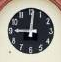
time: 9:01
